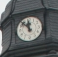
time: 11:53
